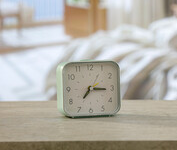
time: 7:15
